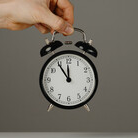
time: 11:54
